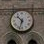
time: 10:32
